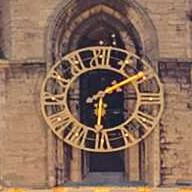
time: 6:10
